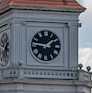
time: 1:46
